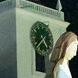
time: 4:37
